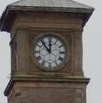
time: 11:53
